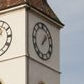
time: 1:07
